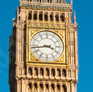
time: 3:43
